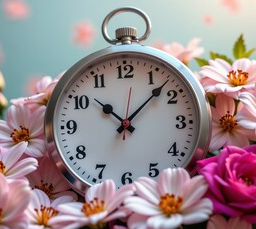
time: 10:07
